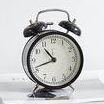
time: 10:41
